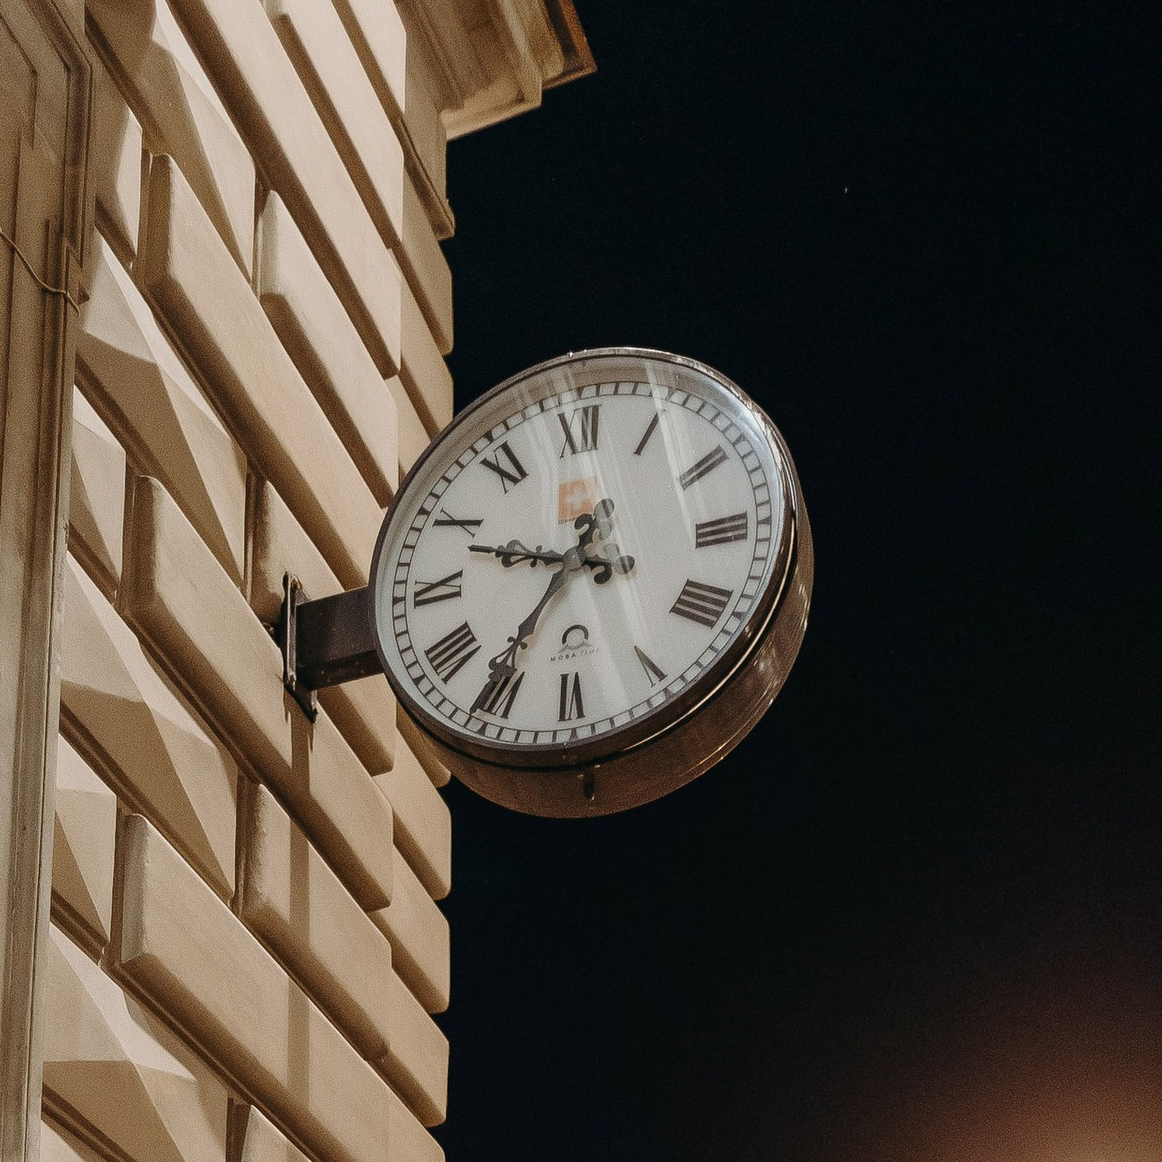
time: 9:36
